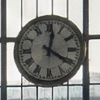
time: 12:20
